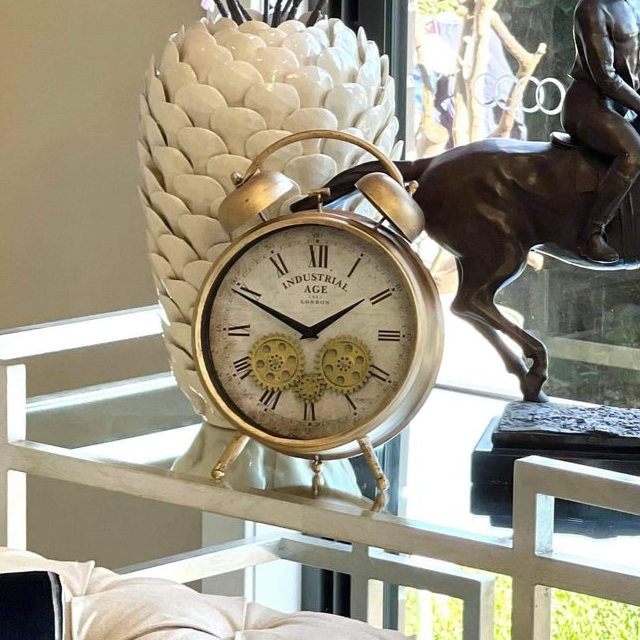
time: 1:49
